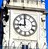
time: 8:59
